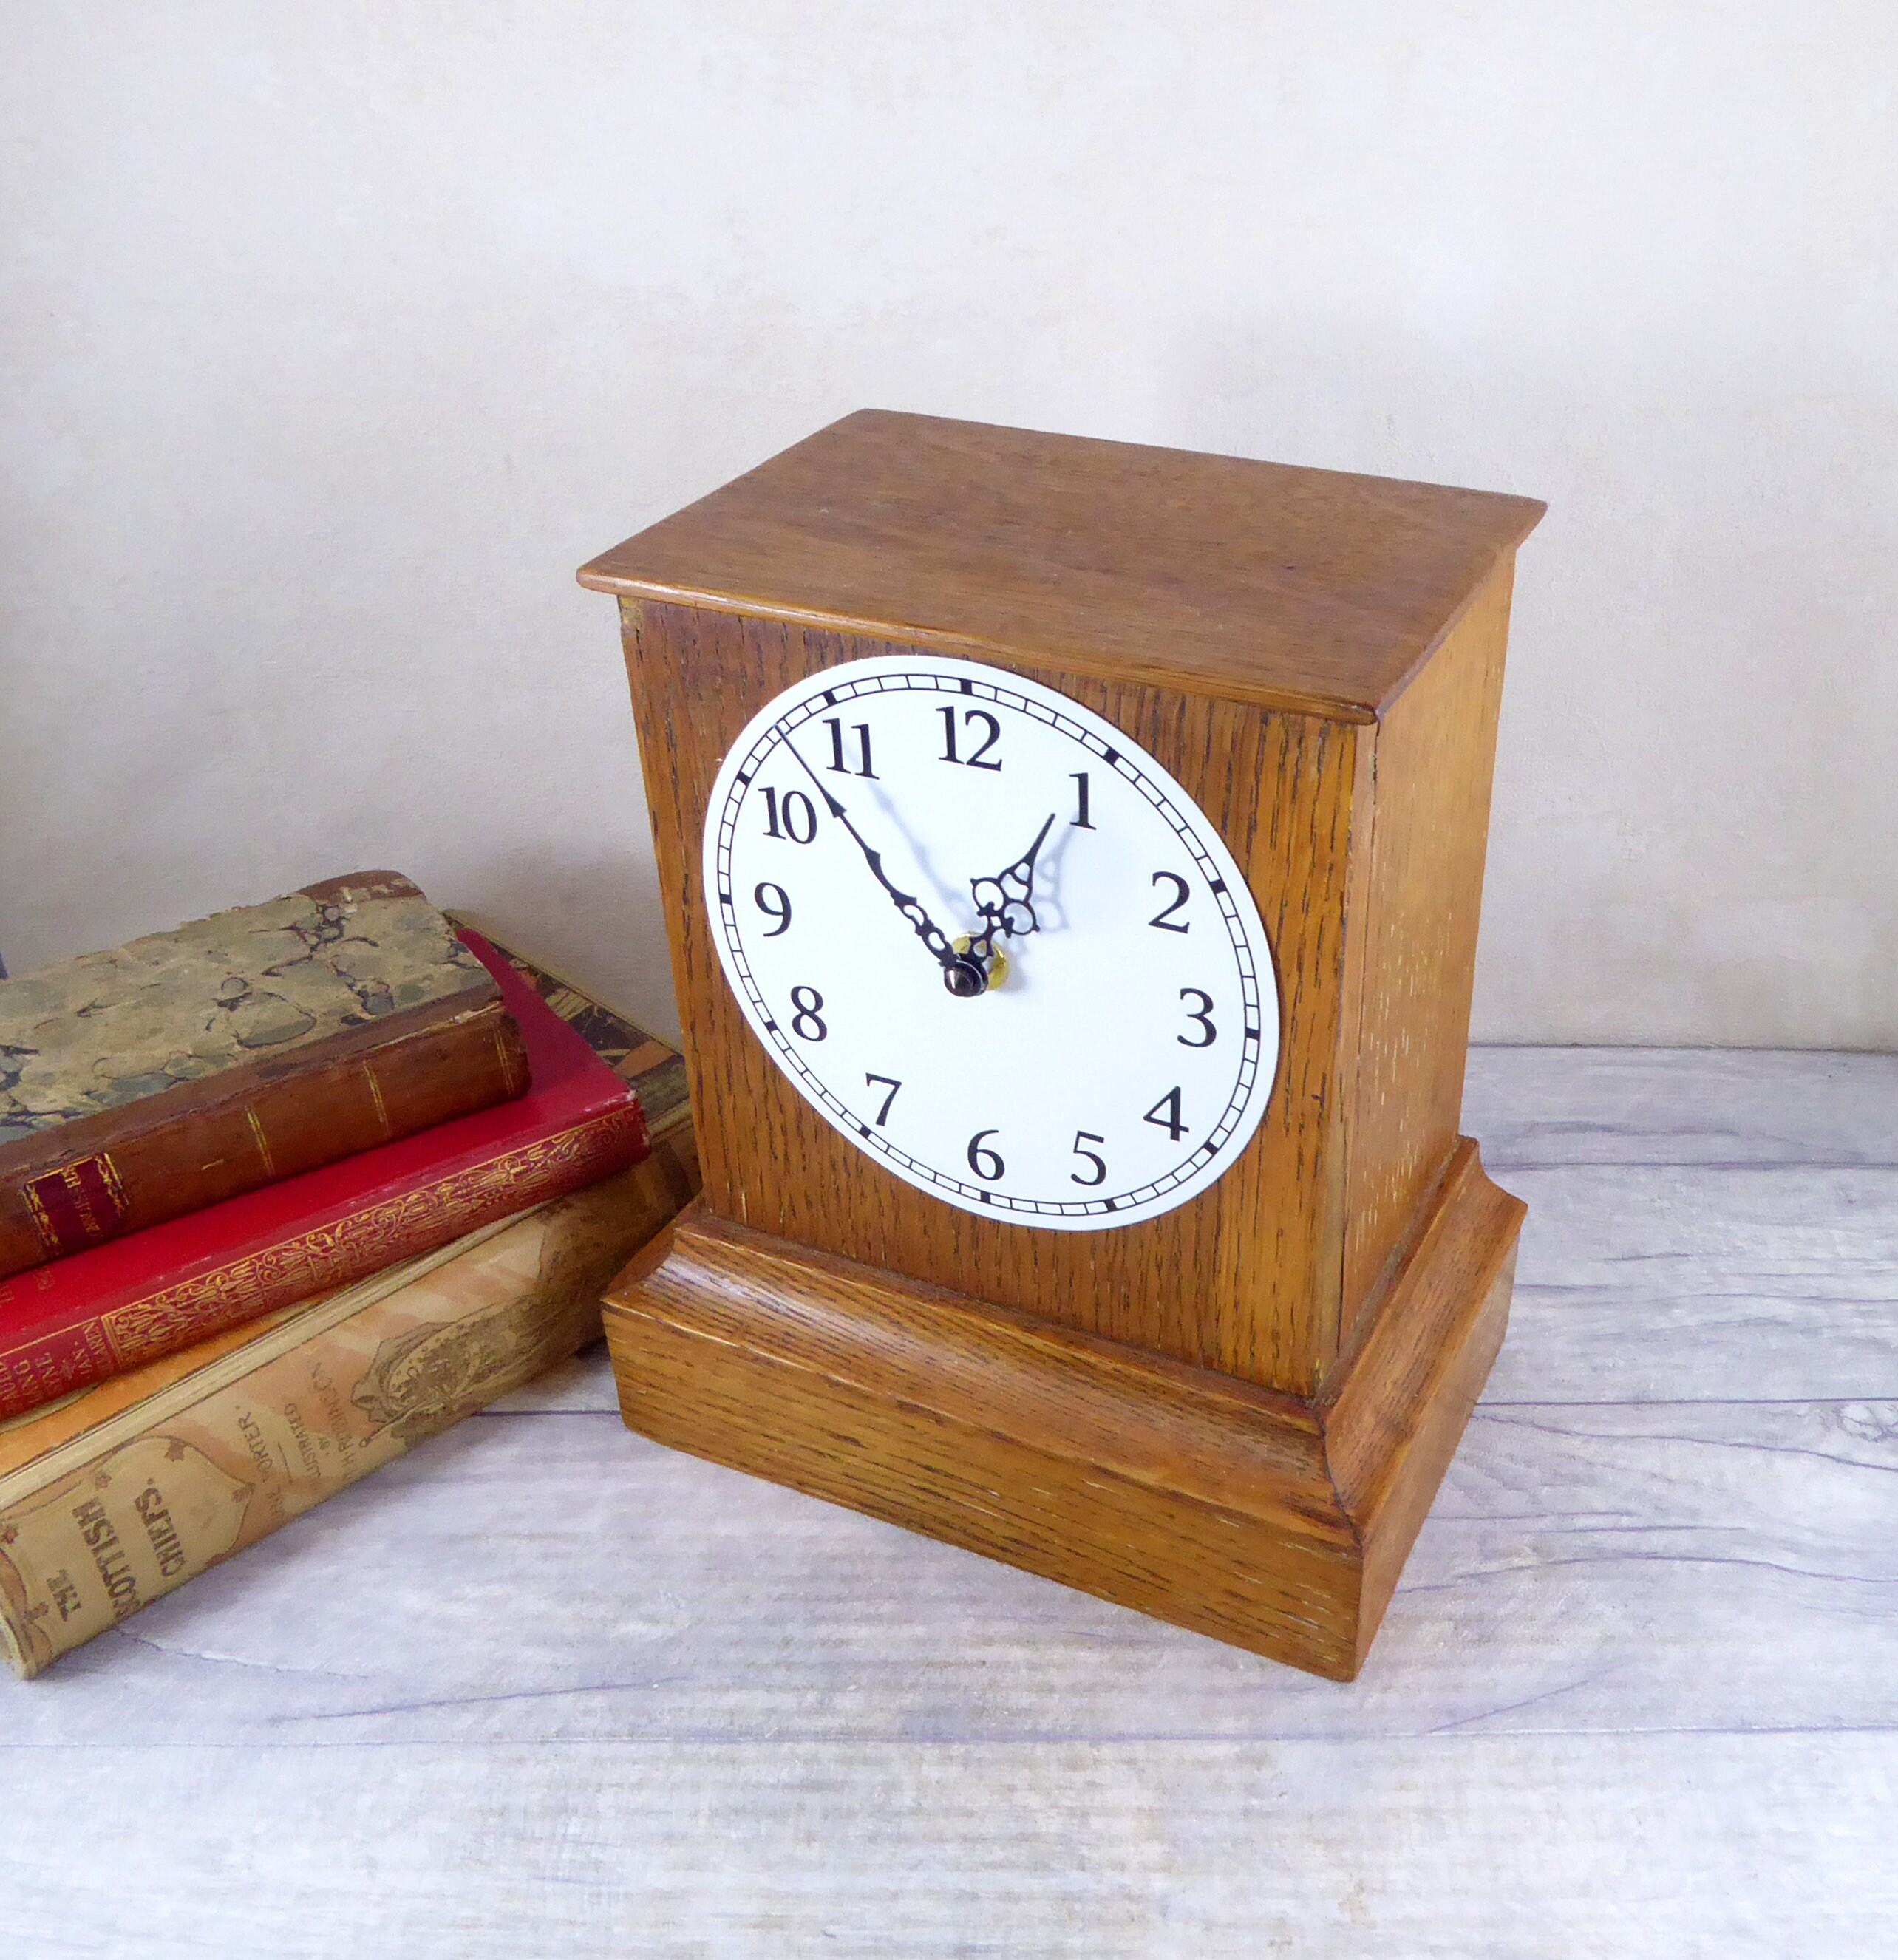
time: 12:52
